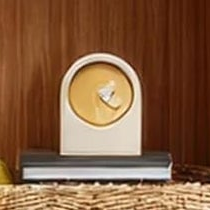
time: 1:21
